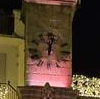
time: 12:02
